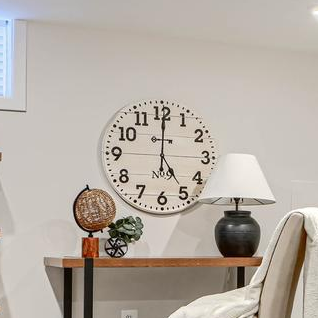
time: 5:00
